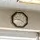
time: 9:20
